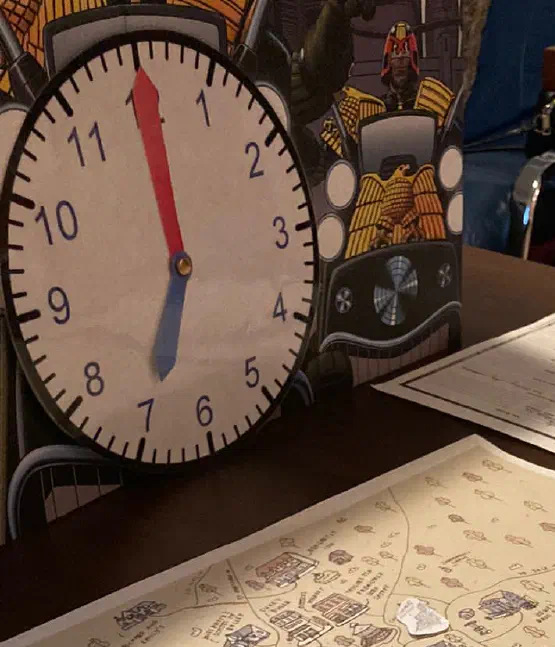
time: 7:00
